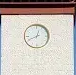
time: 12:40
